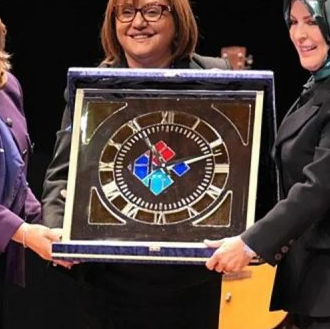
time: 11:11
